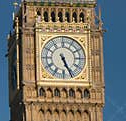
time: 5:26
